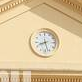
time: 8:27
